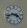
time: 3:42
